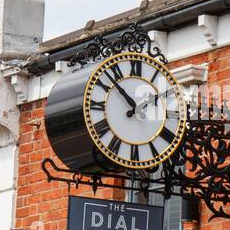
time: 1:52
